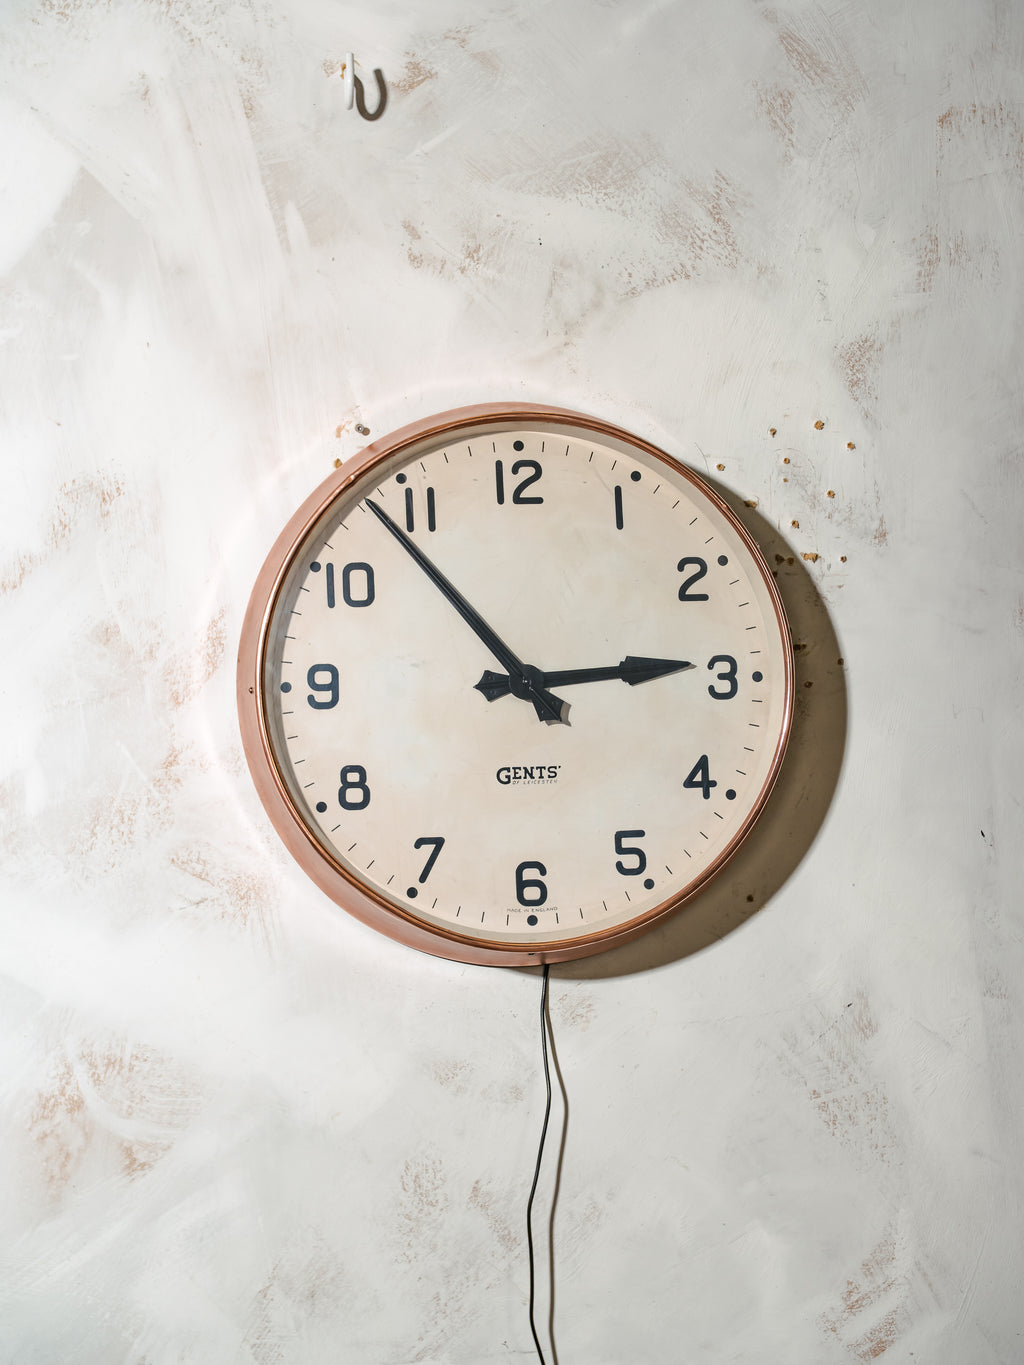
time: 2:53
